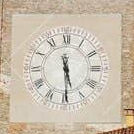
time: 5:29
